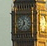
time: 6:58
